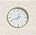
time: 12:40
